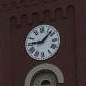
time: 9:07
